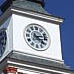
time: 4:12
